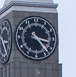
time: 3:23
